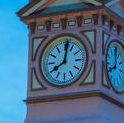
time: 8:01
